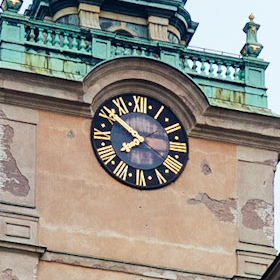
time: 7:50
